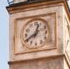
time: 12:40
